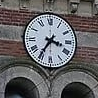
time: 3:35
